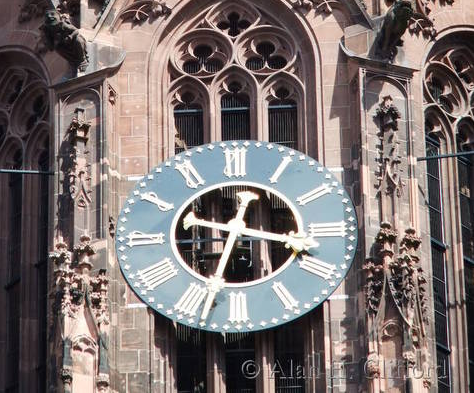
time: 3:33
